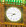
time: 7:46
